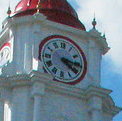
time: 4:16
